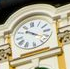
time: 10:20
